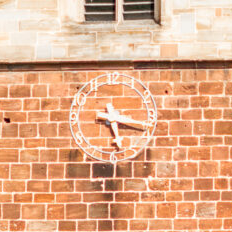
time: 5:17
